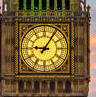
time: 9:05
